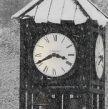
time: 3:40
